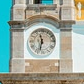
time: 11:32
